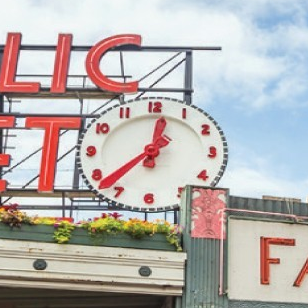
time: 12:37
